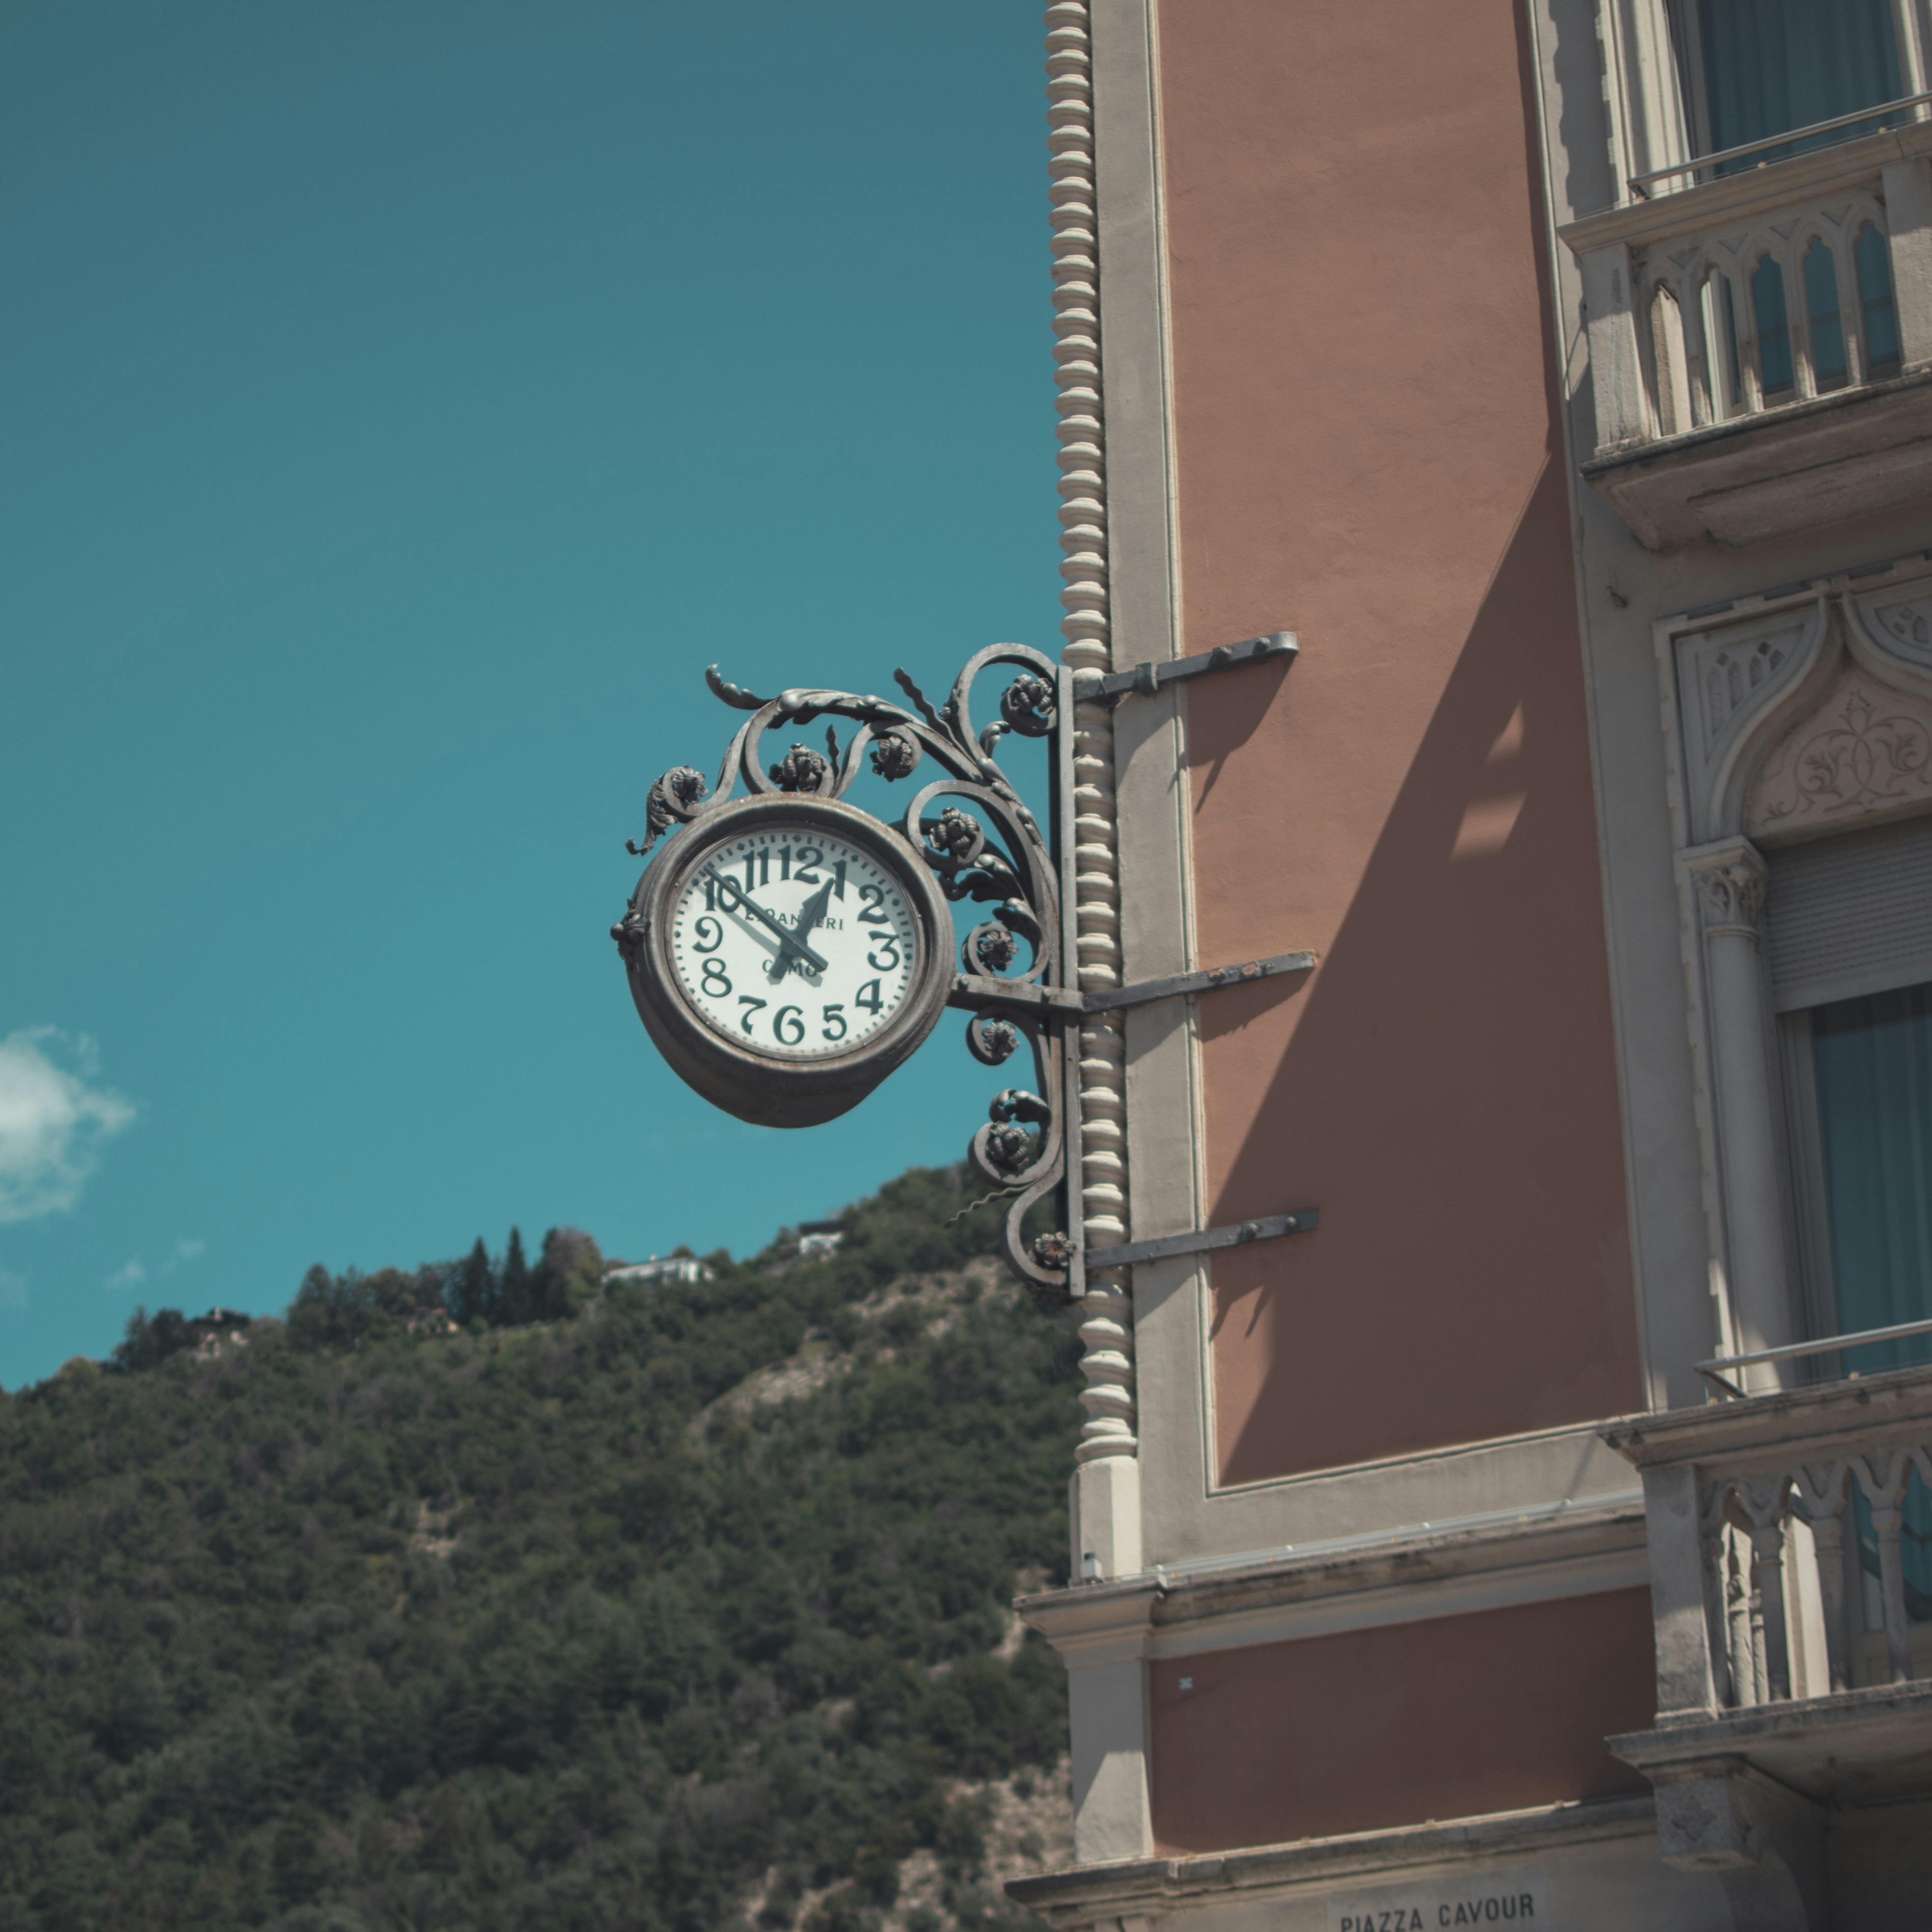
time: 12:52
